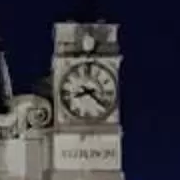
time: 8:21
